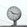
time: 10:17
